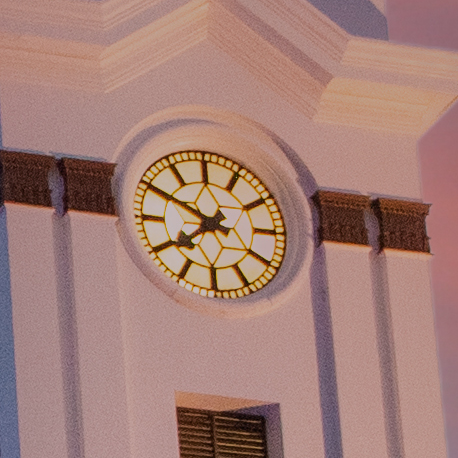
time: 7:49
